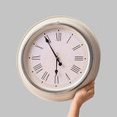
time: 5:54
